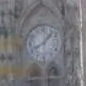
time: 8:07
